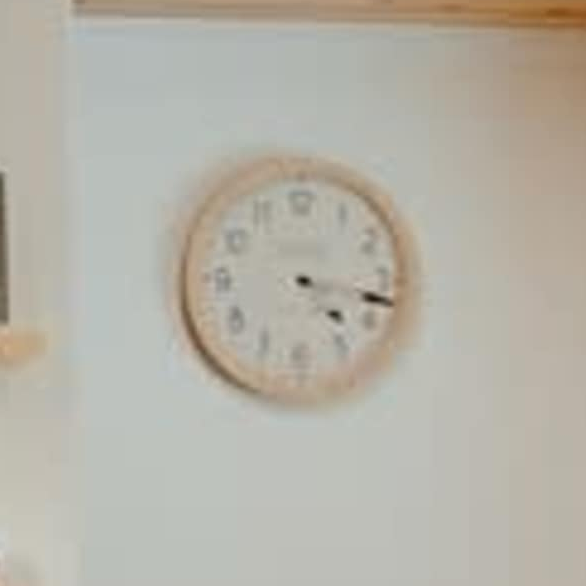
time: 4:17
